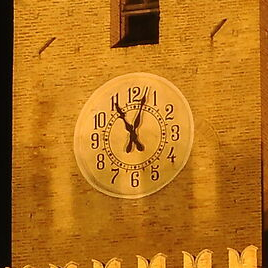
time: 11:03
